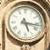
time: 5:16
